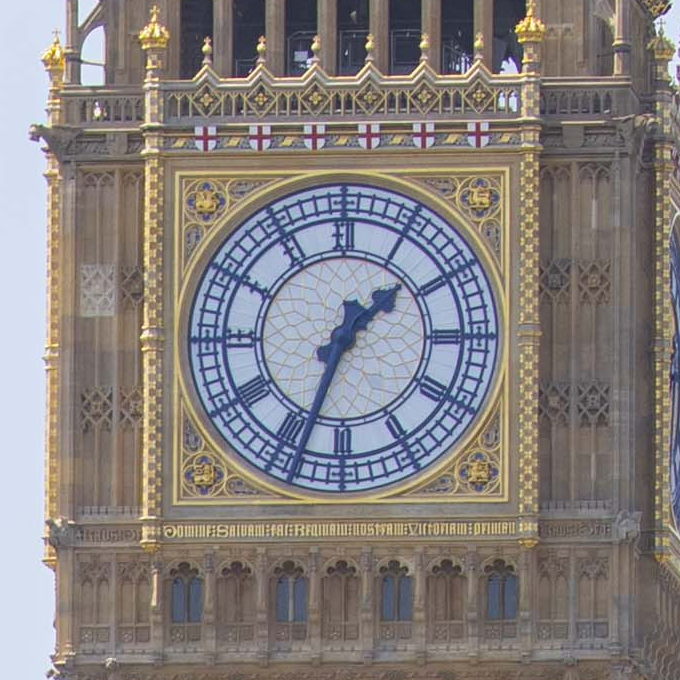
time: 1:33
